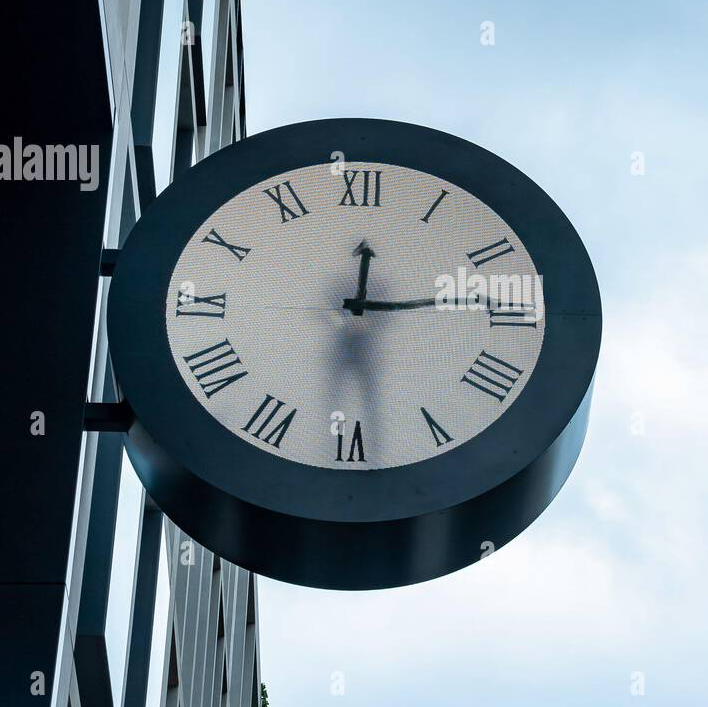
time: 12:13
